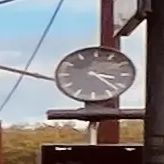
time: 3:22
